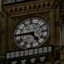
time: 4:44
